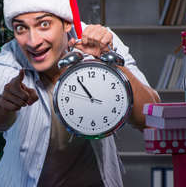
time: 10:54
